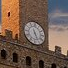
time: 5:26
